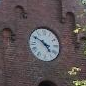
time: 4:50
